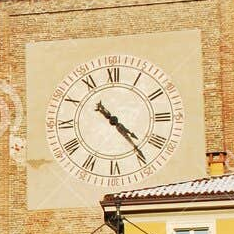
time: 4:23
